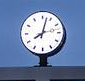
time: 8:02
